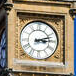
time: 3:12
